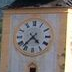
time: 4:37
